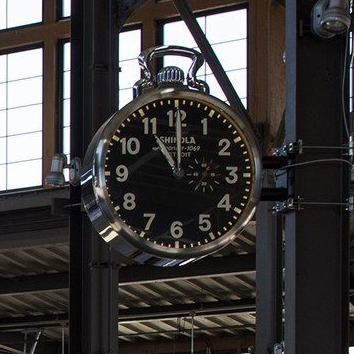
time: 11:00
